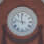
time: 11:47
